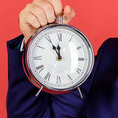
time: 11:55
